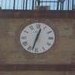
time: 12:32
